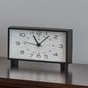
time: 11:07
